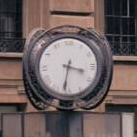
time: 3:31
